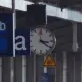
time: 3:21
